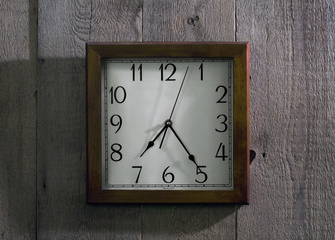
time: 7:24
